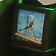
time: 12:38
